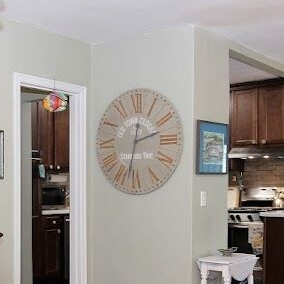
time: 2:32
